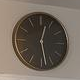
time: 12:28
